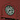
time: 7:13
